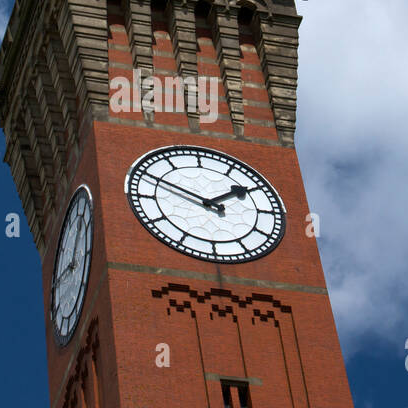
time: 1:49
